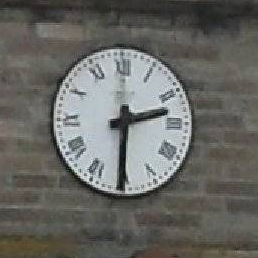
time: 2:30
